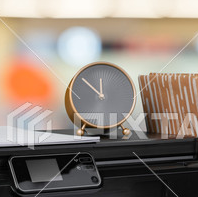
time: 11:51
